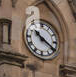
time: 10:20
